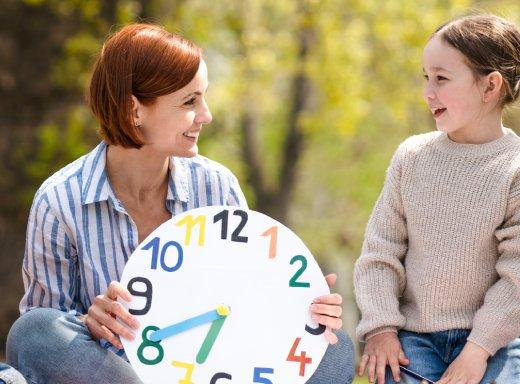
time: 6:40
